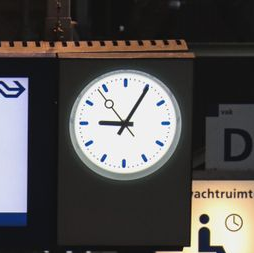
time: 9:05
